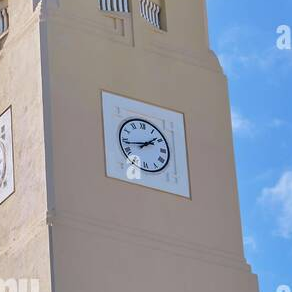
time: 1:43
